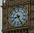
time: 8:25
